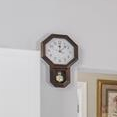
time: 12:07
